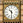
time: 10:30
